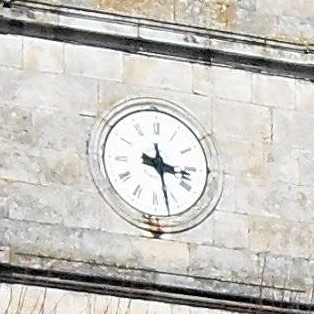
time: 3:27
